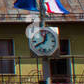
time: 12:40
